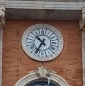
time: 10:34
